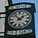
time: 1:52
